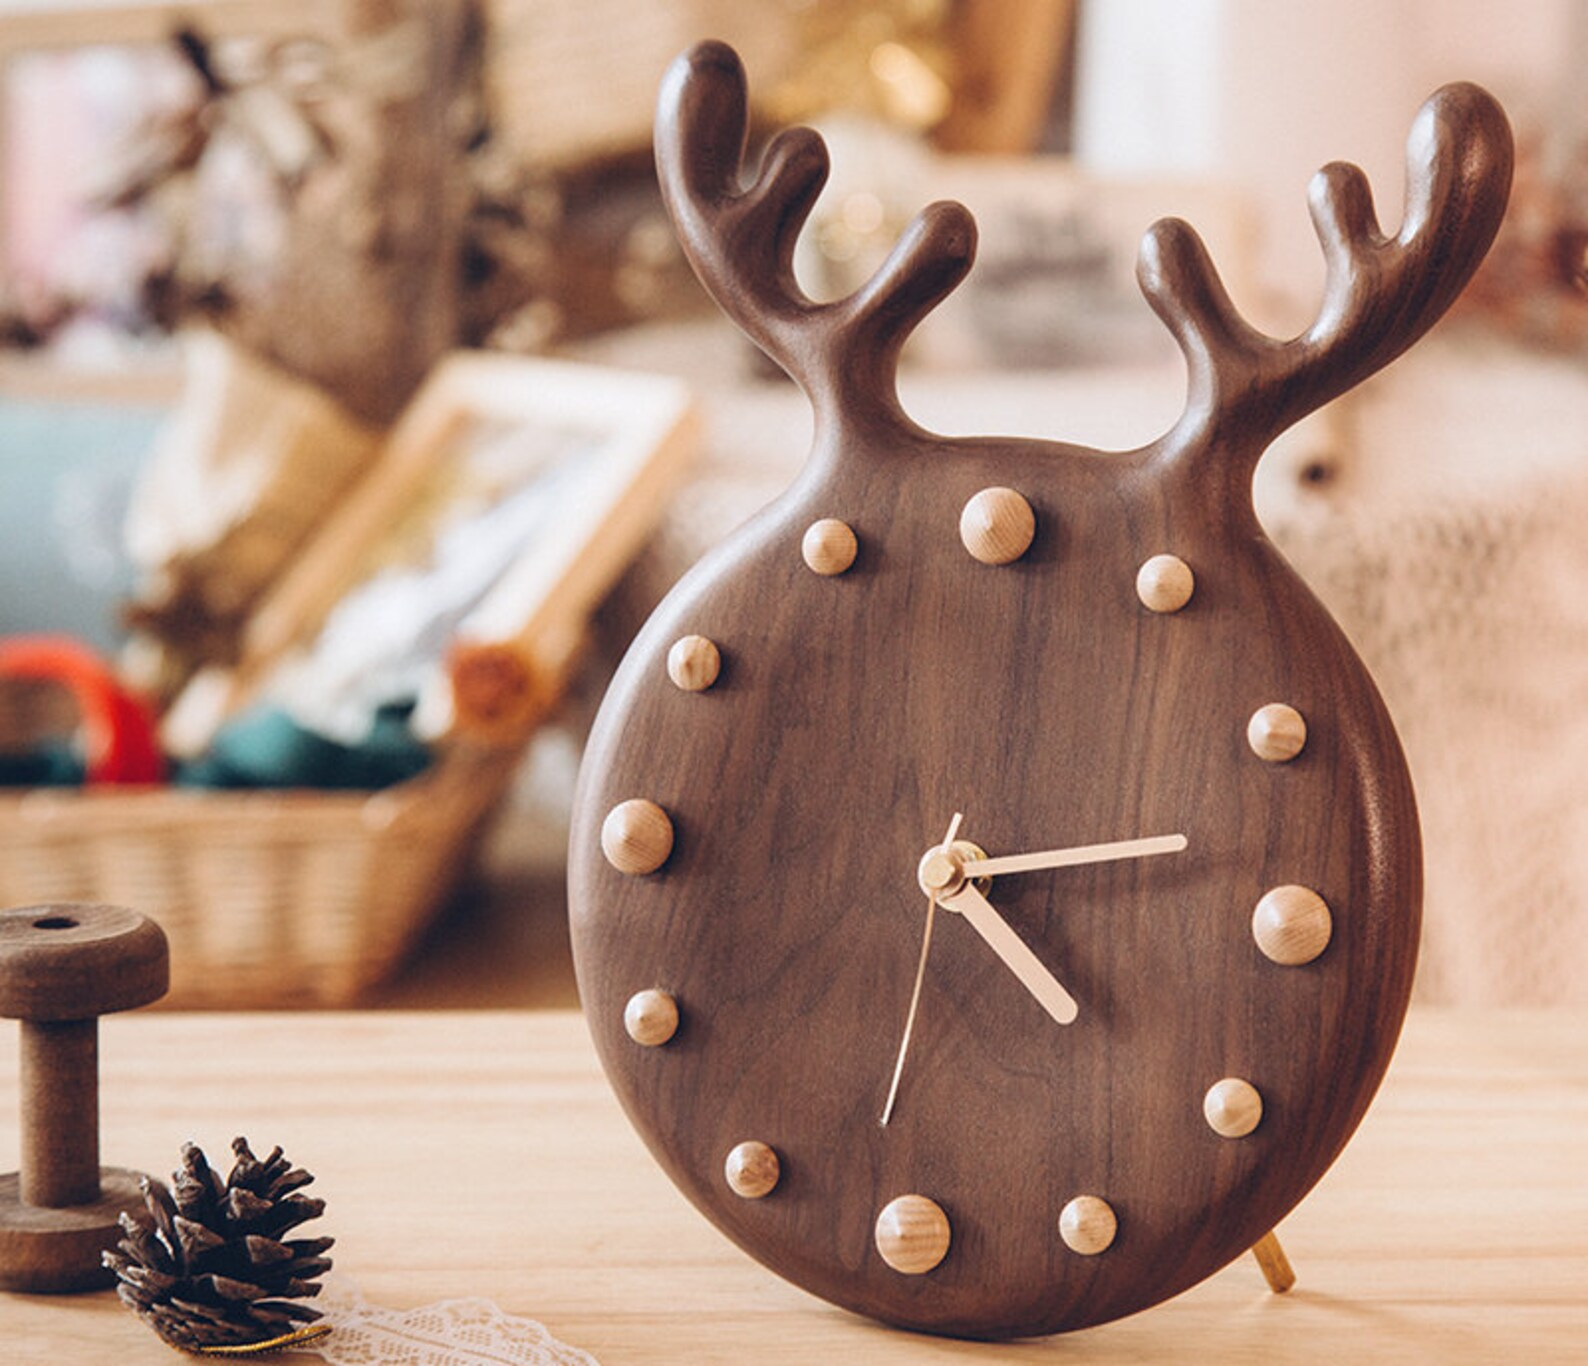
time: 4:12
